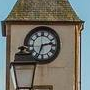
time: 2:33
